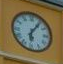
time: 6:06
